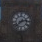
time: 2:38
